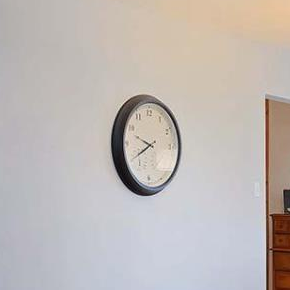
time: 9:40
